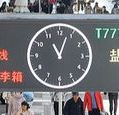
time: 11:03
